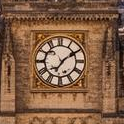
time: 7:09
